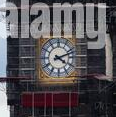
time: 4:12
